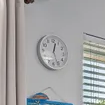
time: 12:26
